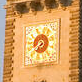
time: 7:40
